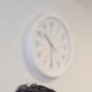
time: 10:30
